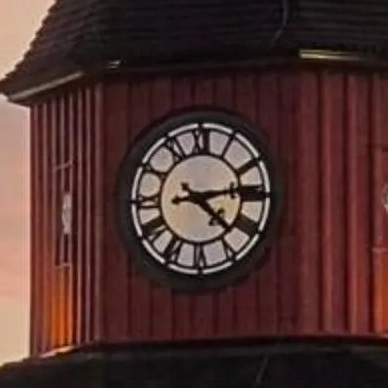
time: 4:13
